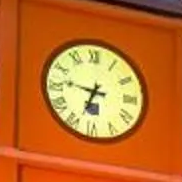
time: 6:46
